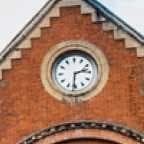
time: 2:31
